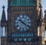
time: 10:21
